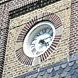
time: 4:12
